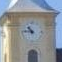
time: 10:45
